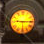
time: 9:14
